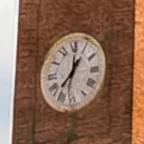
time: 1:01
